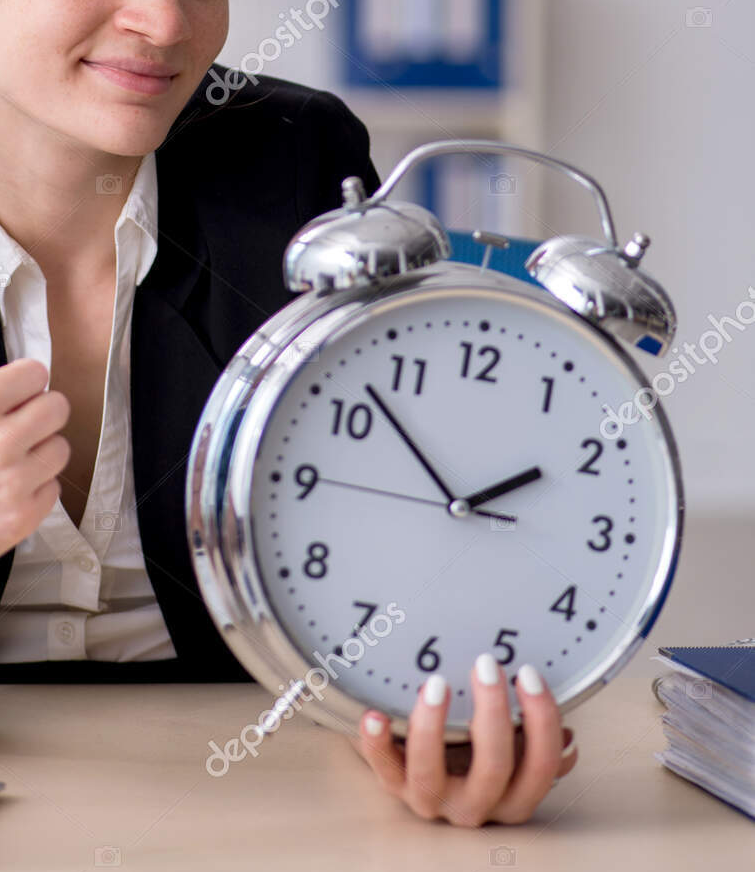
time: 1:52
